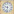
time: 9:32
